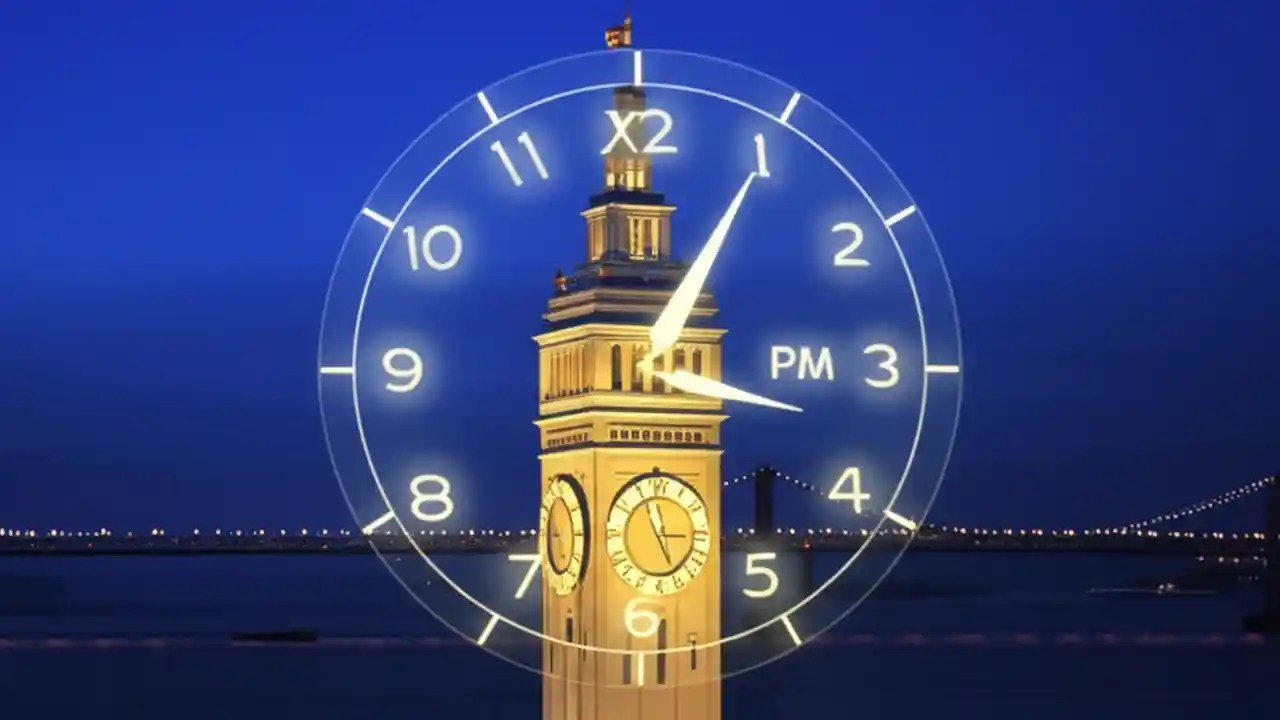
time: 1:05
